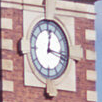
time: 12:16
